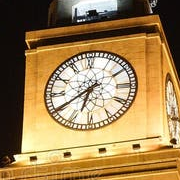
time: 6:39
